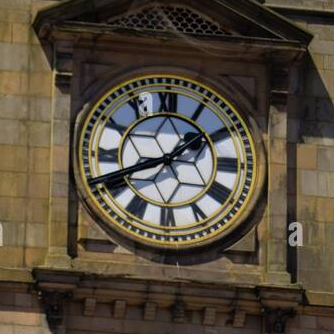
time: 1:41
